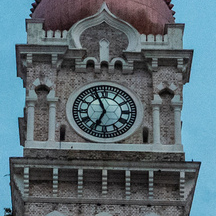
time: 6:56
